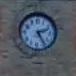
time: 2:24
